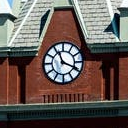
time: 11:18
